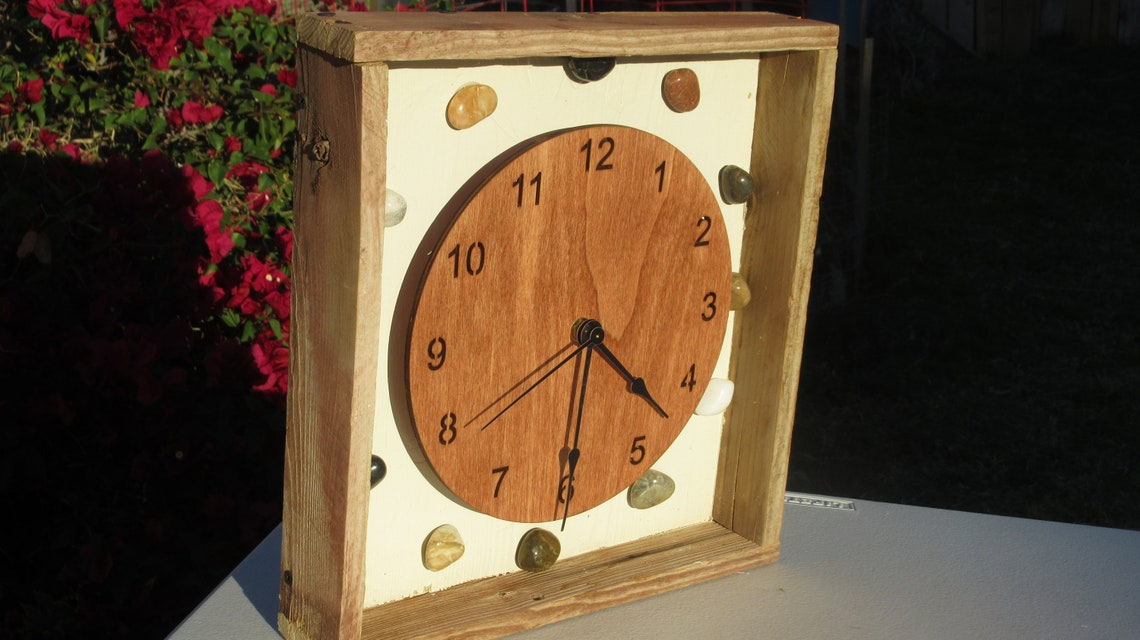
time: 4:30
